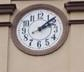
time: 2:08
